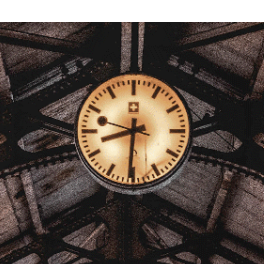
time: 8:30
